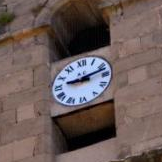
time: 9:12
